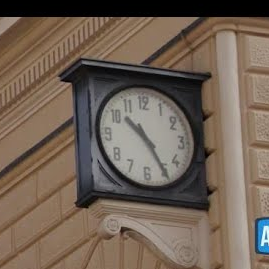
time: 10:24
